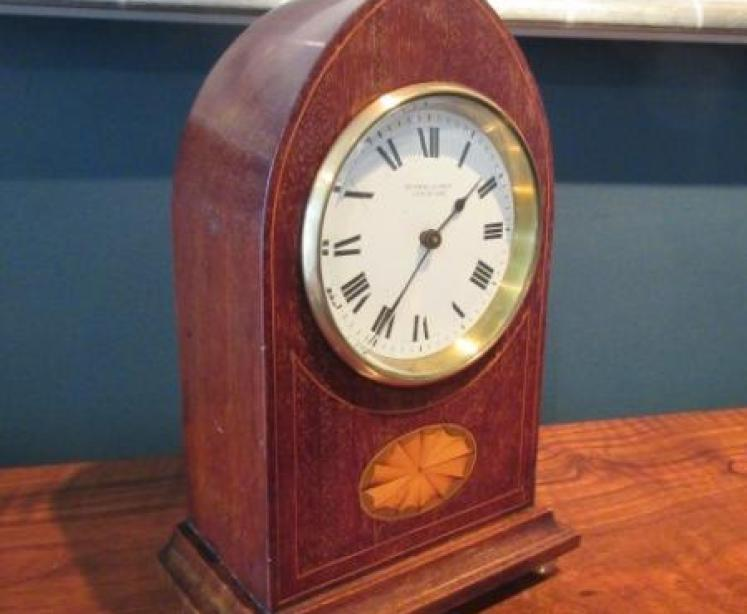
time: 1:35
